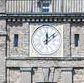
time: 12:09
